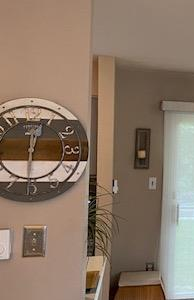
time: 12:30
